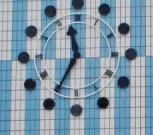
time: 11:35
